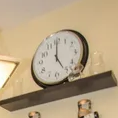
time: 5:00
